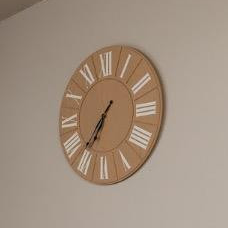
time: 6:36
